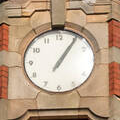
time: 1:05
